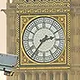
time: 2:36
